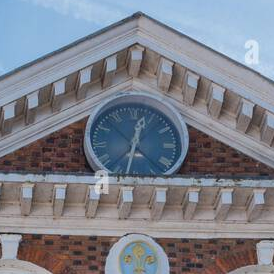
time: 12:32
